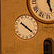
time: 10:21
